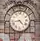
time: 4:42
